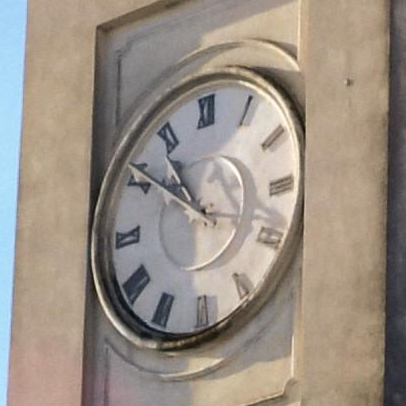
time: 10:50
